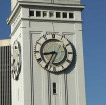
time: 8:35
